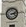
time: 3:12
